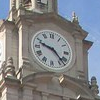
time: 9:22
